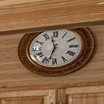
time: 11:32
